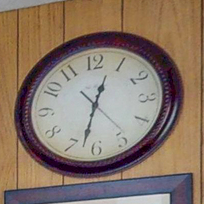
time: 12:32
